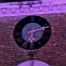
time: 6:12
